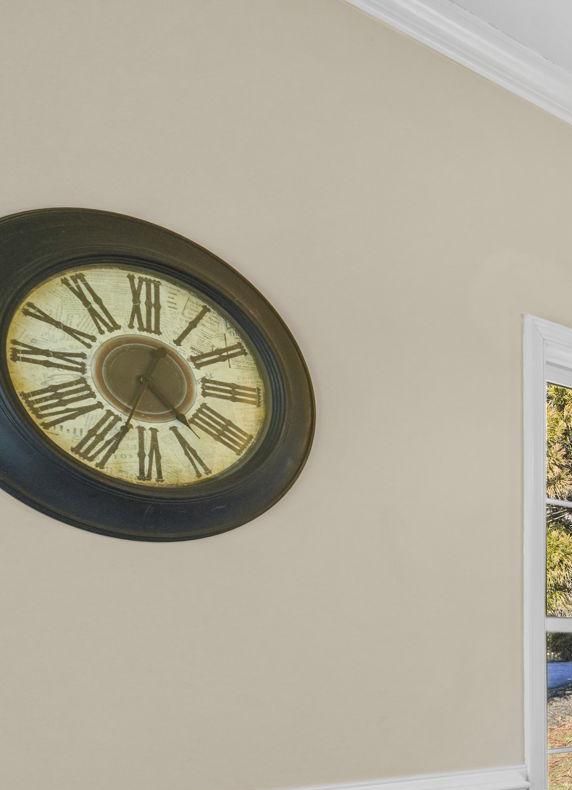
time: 4:33
